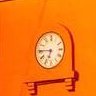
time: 6:45
